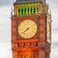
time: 7:38
